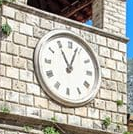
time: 11:03
